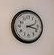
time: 2:18
